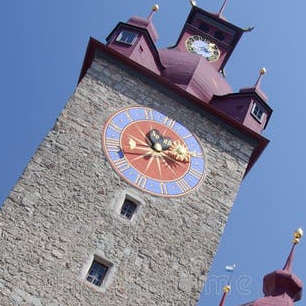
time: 11:17
